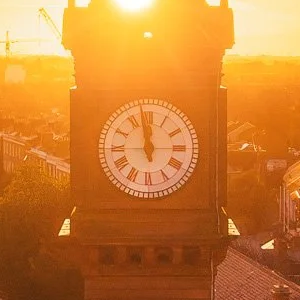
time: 11:58
